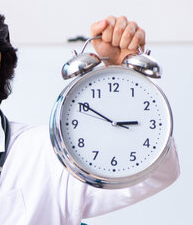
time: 2:50
